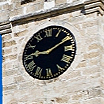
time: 9:10
